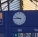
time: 9:45
